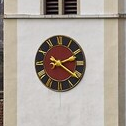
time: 2:20
